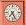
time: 7:25
